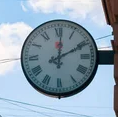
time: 12:10
